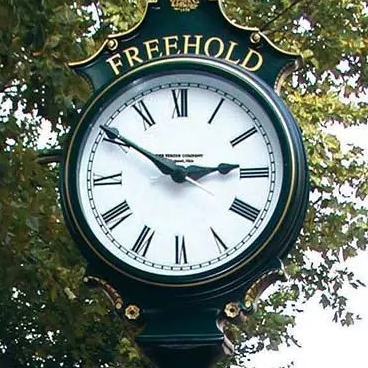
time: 2:50
